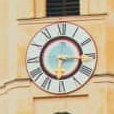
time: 6:15
